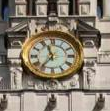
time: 11:36
